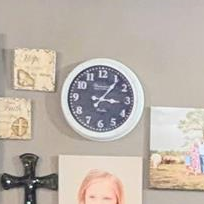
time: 3:06
